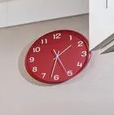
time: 1:32
